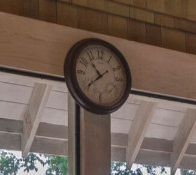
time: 10:38
